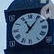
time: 11:06
